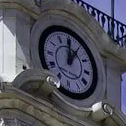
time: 12:05
